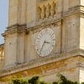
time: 3:35
